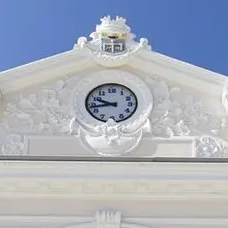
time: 9:42
